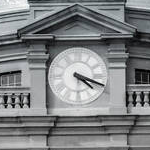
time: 4:18
